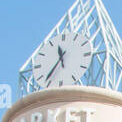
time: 11:36
